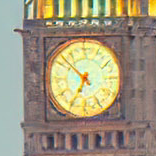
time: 6:52
